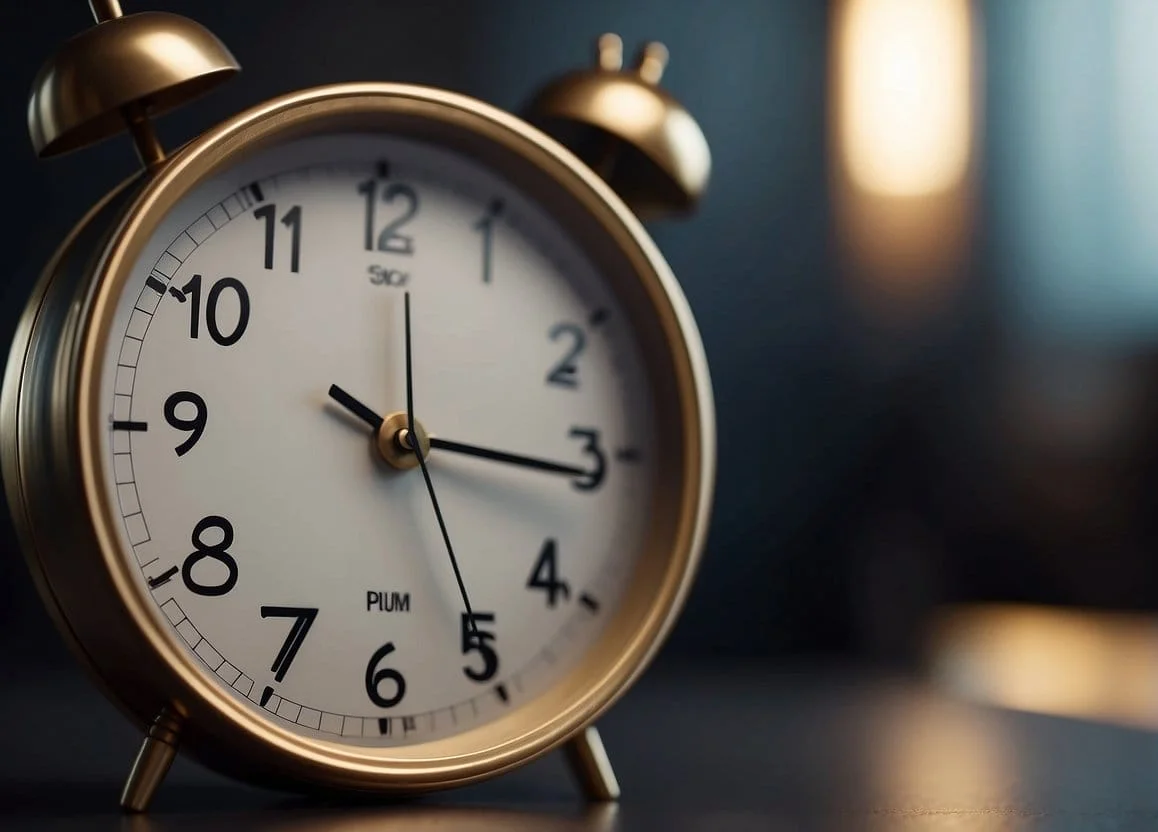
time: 12:15
